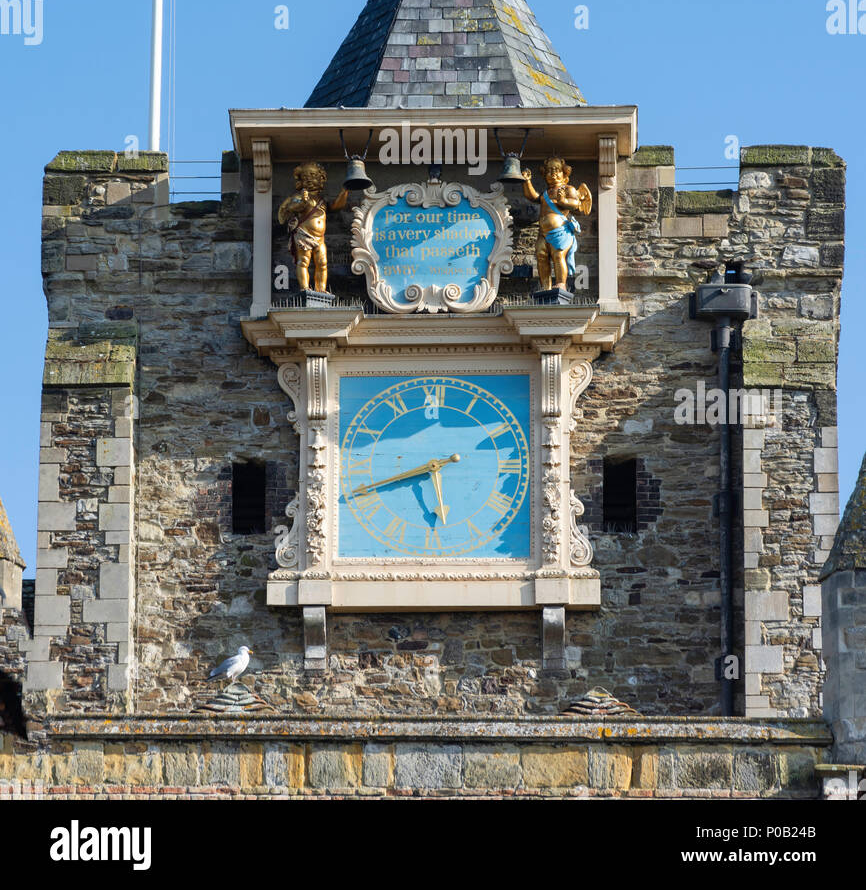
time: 5:40
